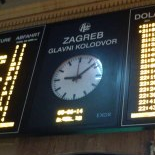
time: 9:08
